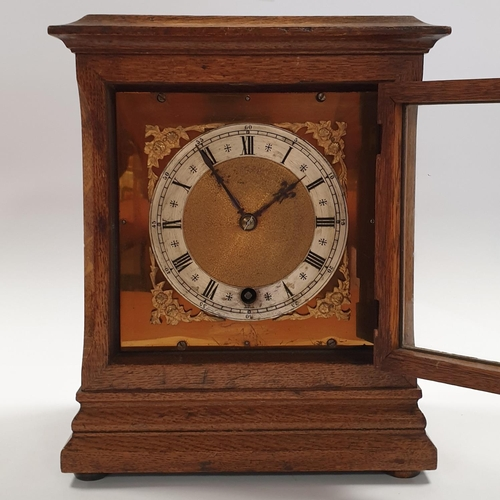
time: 1:54
